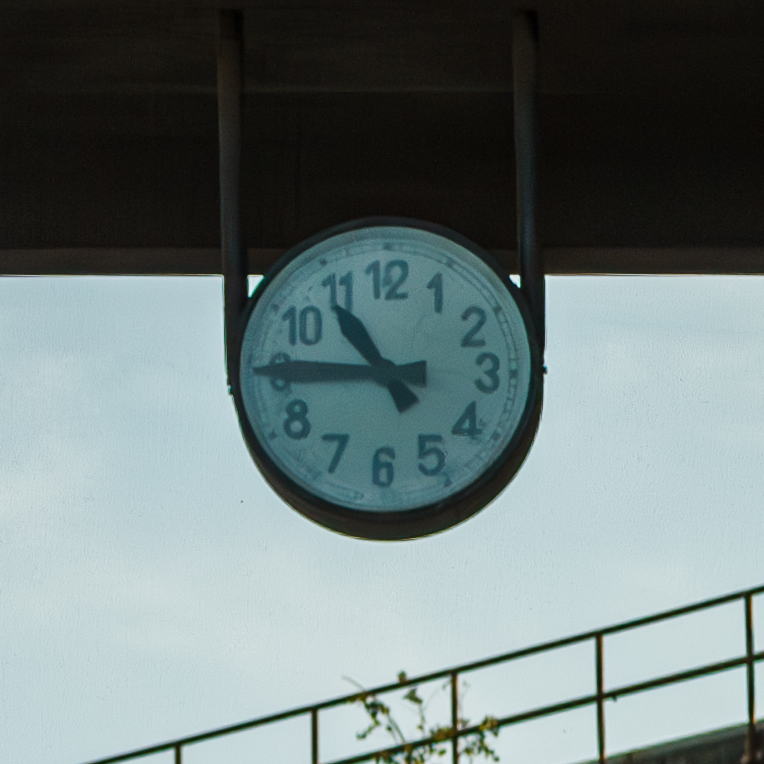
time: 10:45
